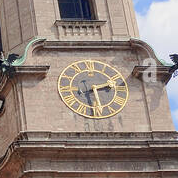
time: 2:29
